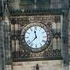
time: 11:37
